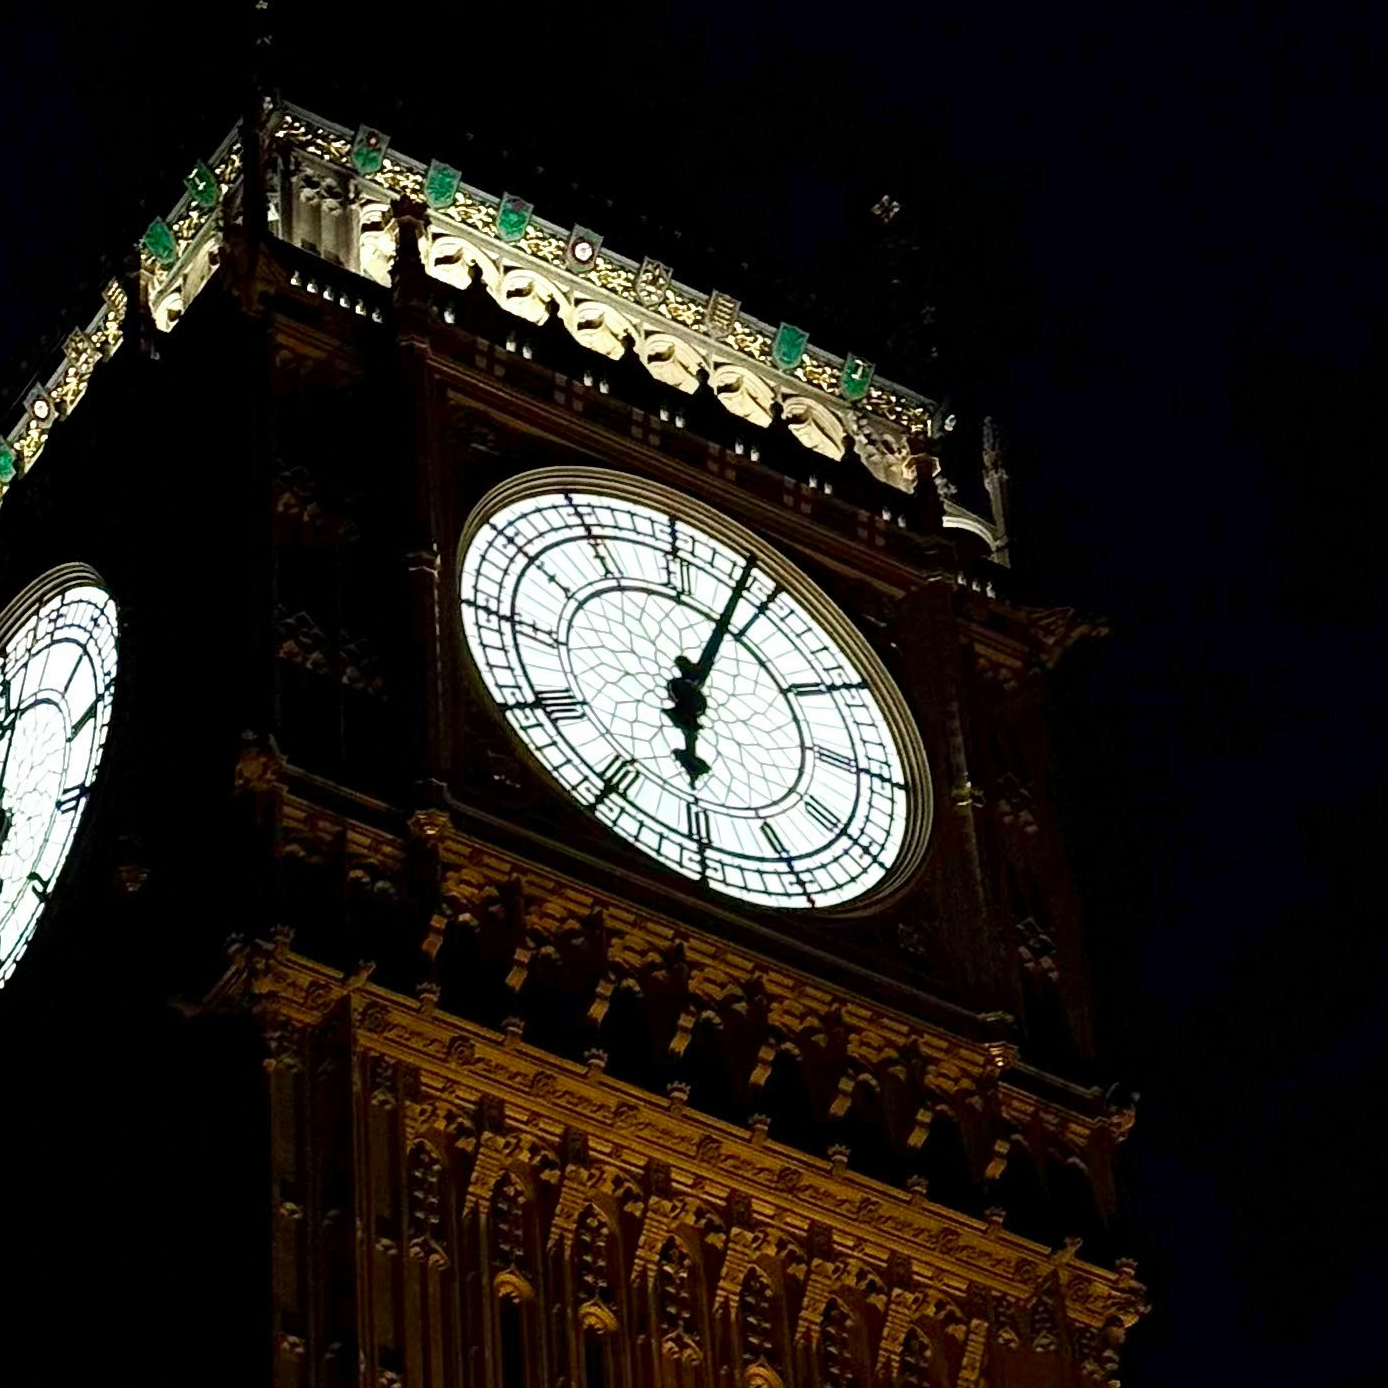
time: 6:03
